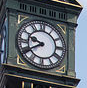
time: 9:40
